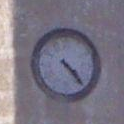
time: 4:22
